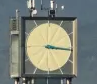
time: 3:16
